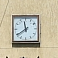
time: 11:39
